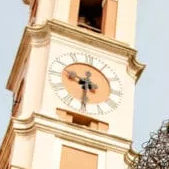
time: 9:30
